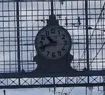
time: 10:41
